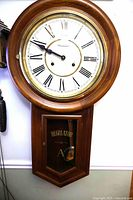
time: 9:49
